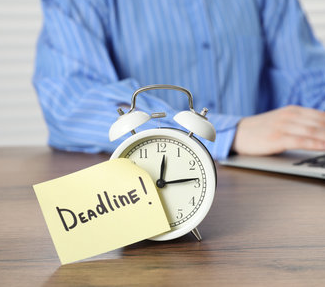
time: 12:13
